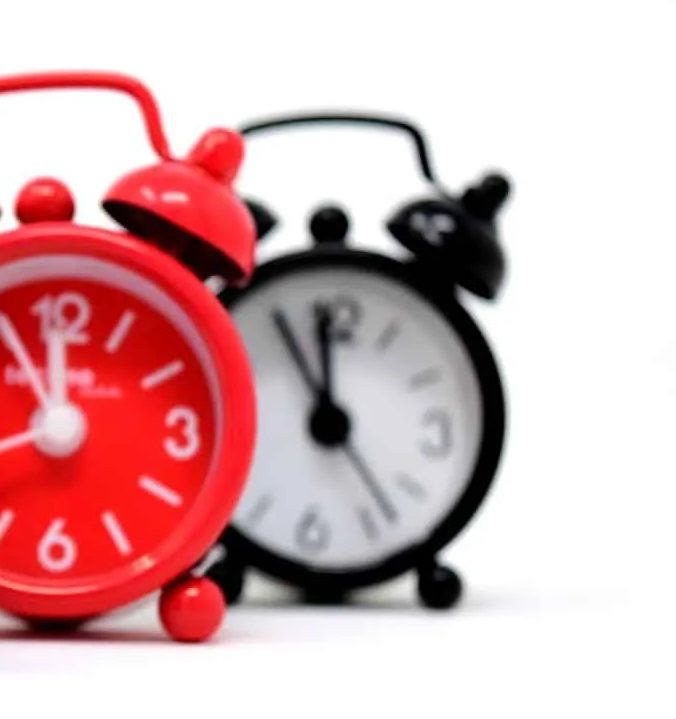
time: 11:55
